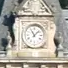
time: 11:07
